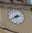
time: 2:40
